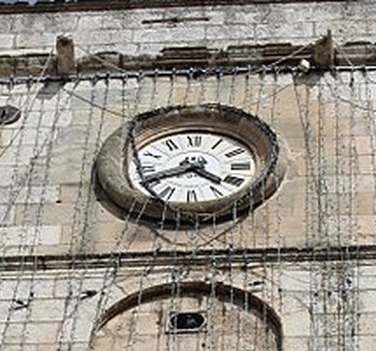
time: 4:40
